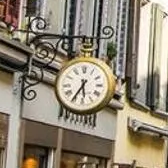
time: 5:35
